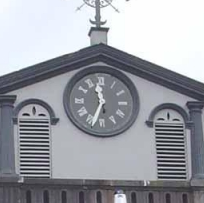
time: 11:33
